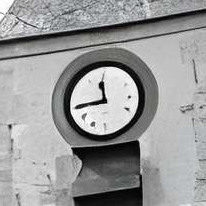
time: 11:44
